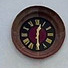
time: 12:29
